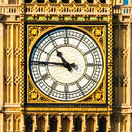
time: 10:45
